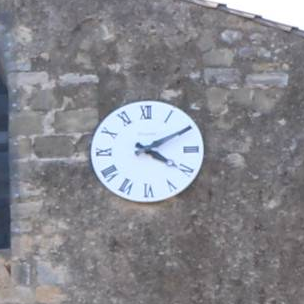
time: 4:10
